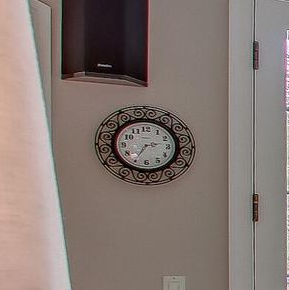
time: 2:35
